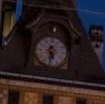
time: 5:31
